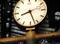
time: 8:27
